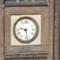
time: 9:28
